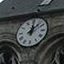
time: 12:07
